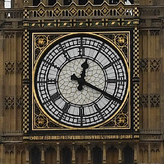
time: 12:19
